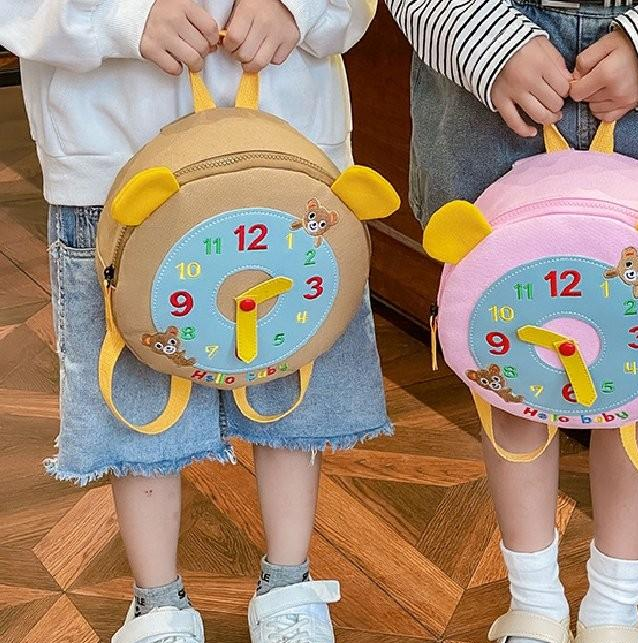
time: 2:29
